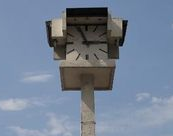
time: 11:14
